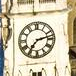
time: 7:12
